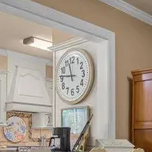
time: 11:46
